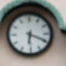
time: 6:19
